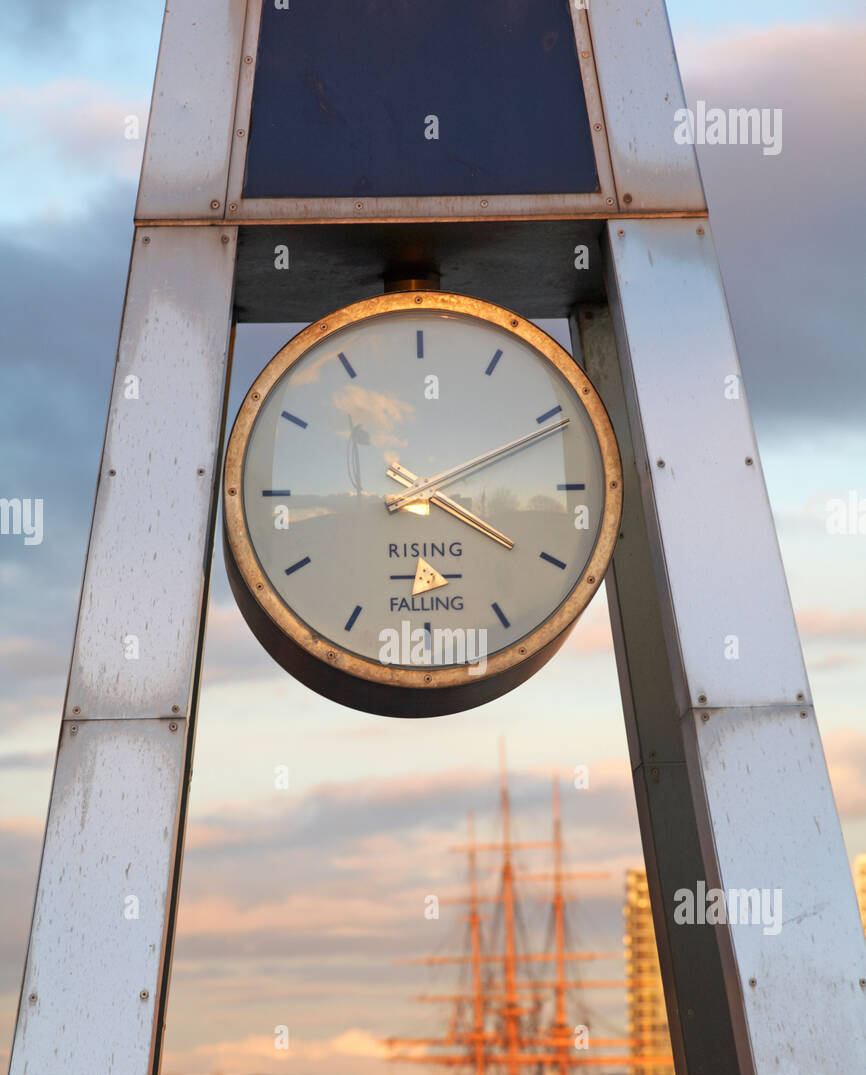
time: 4:10
